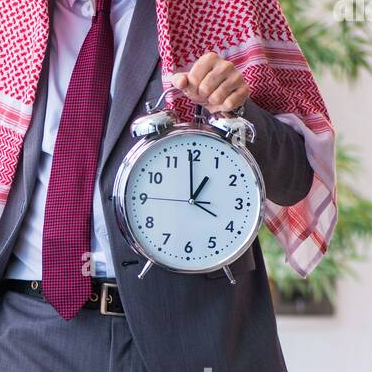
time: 12:59
